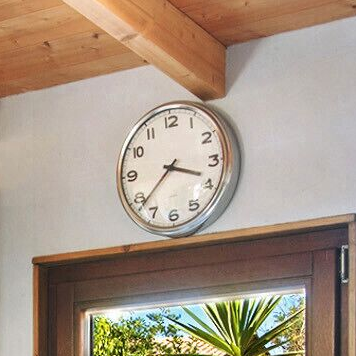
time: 3:38
